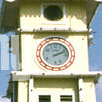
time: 2:11
